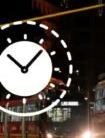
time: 10:07
